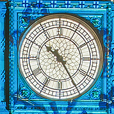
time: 10:24
